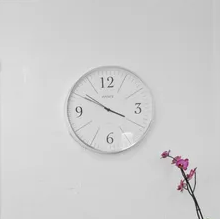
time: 3:50
